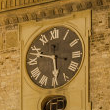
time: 5:47
